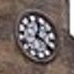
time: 12:20
